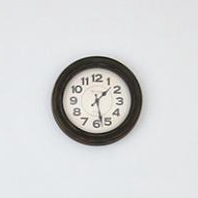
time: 1:28
